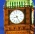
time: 8:25
